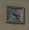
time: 3:24
